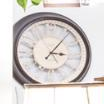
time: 3:06
